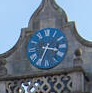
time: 3:34
